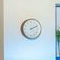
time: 2:11
